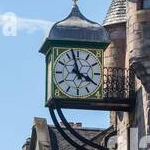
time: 3:57
